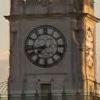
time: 7:43
